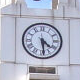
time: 4:29
